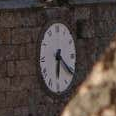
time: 6:21
